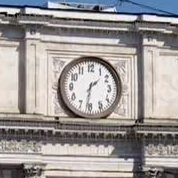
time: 1:31
